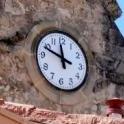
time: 11:48
